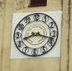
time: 8:18
